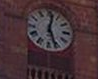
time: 12:26
